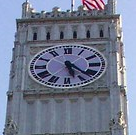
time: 5:21
